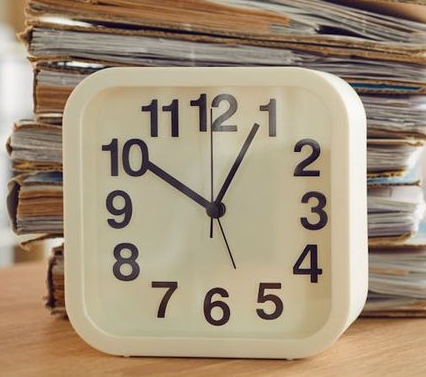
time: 10:04
